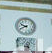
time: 9:41
